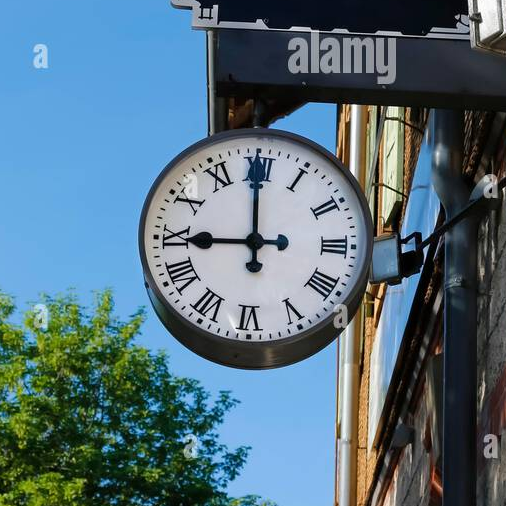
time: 8:59
